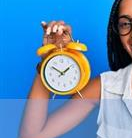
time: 1:51
